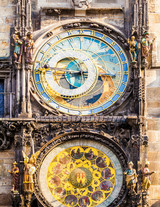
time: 10:45
